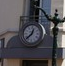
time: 12:37
